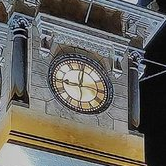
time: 9:01
